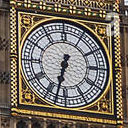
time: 6:32
